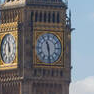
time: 11:28
